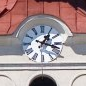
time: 1:18
